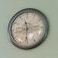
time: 11:31
